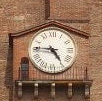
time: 4:45
